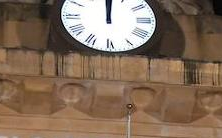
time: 12:01
